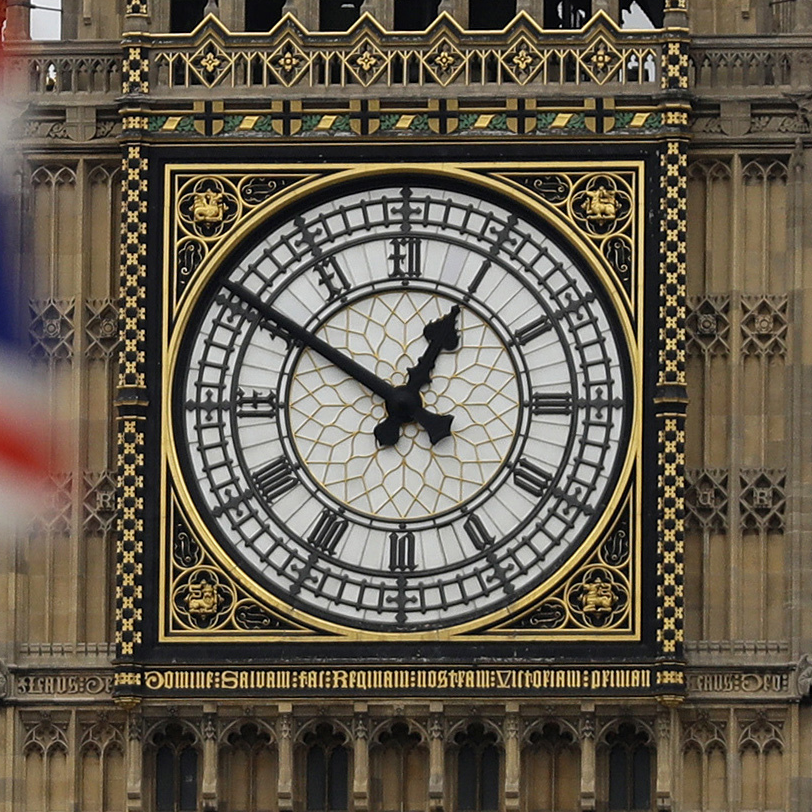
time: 12:50
